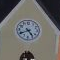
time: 4:40
